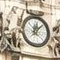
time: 12:07
